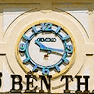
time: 10:17
